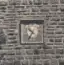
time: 10:35
